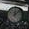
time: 12:07
